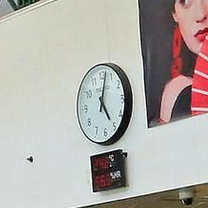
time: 5:02
